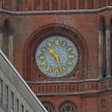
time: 10:27
